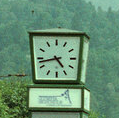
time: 4:42
